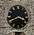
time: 3:40
